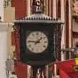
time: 1:46
